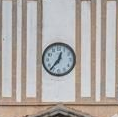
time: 12:36
